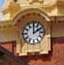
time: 2:00
